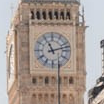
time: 11:12
